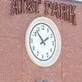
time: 1:52
